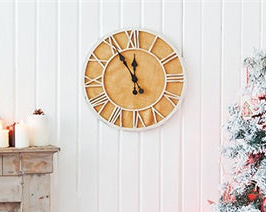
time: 11:55
